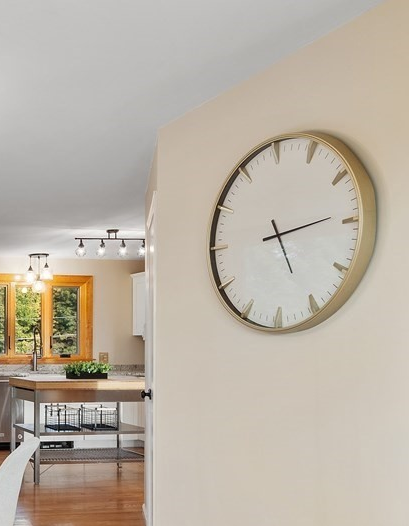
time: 5:13
